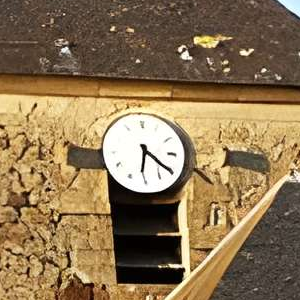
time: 6:20
